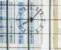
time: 8:07
